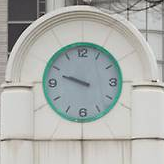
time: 9:48
